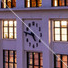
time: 4:46
